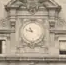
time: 10:47
